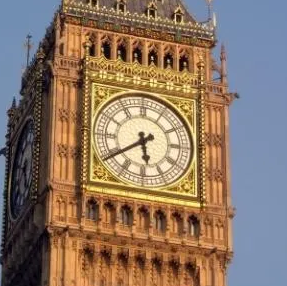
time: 5:39
